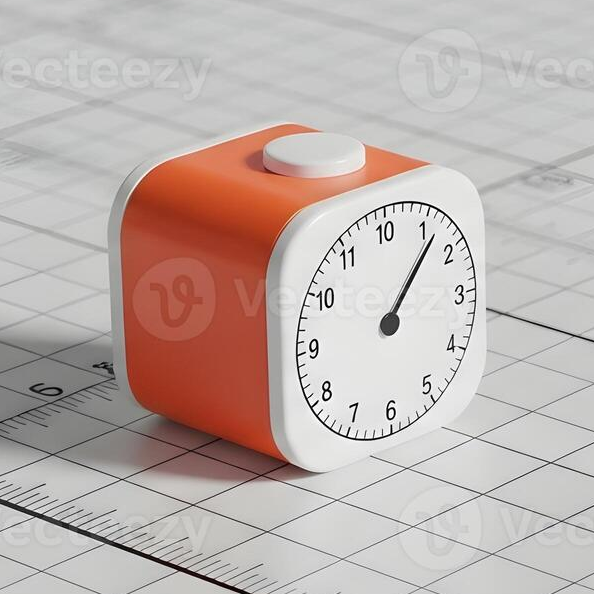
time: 1:06
